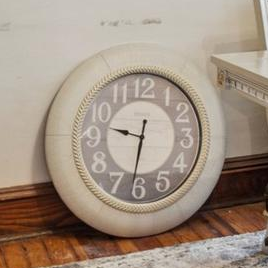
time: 9:31
